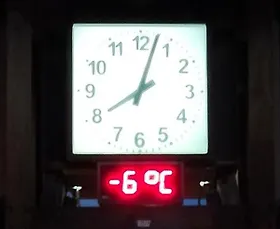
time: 8:02
